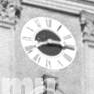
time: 8:15
